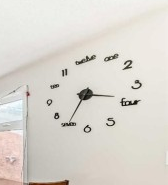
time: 3:35
